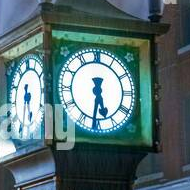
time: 5:31
